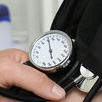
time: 5:59
